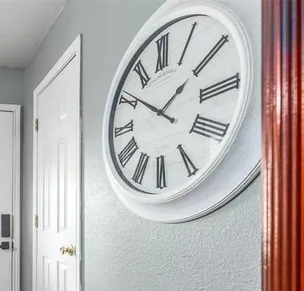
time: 1:50
